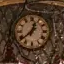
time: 12:38
